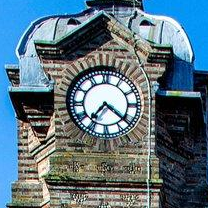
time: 7:21
